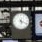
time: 5:18
